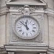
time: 11:52
